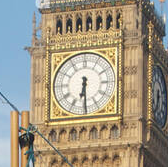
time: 6:29
